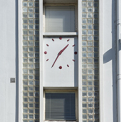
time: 1:35
